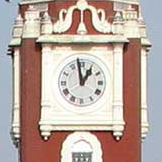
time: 12:58
